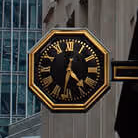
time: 12:23
